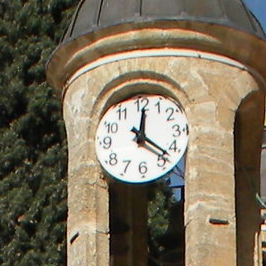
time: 12:22
